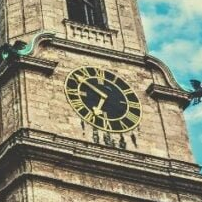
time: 6:50
